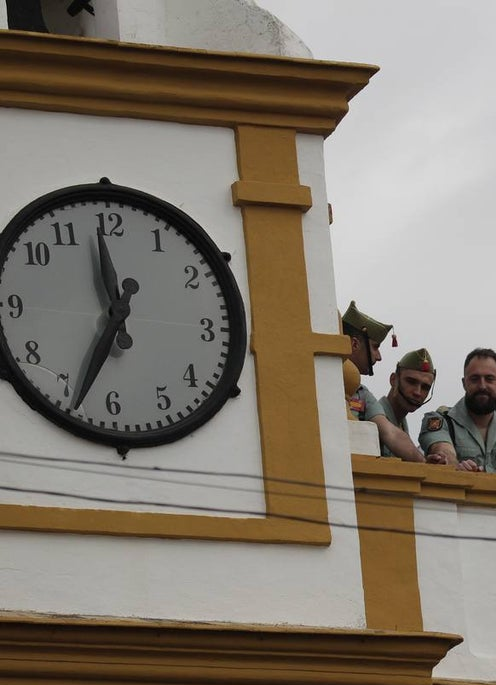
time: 11:33
